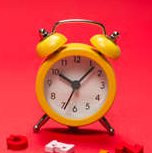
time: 10:07
